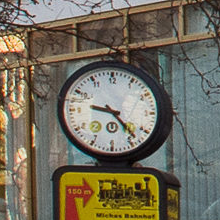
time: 9:23
